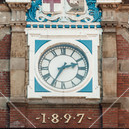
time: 2:35
